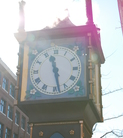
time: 11:28
